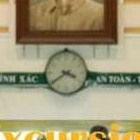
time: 3:39
